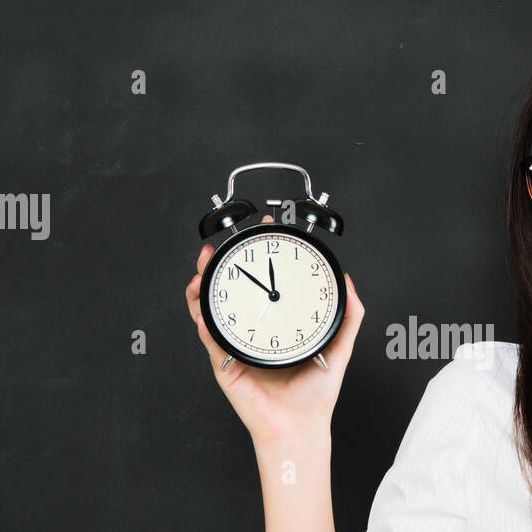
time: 11:51
